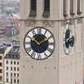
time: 1:50
